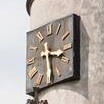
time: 3:29
